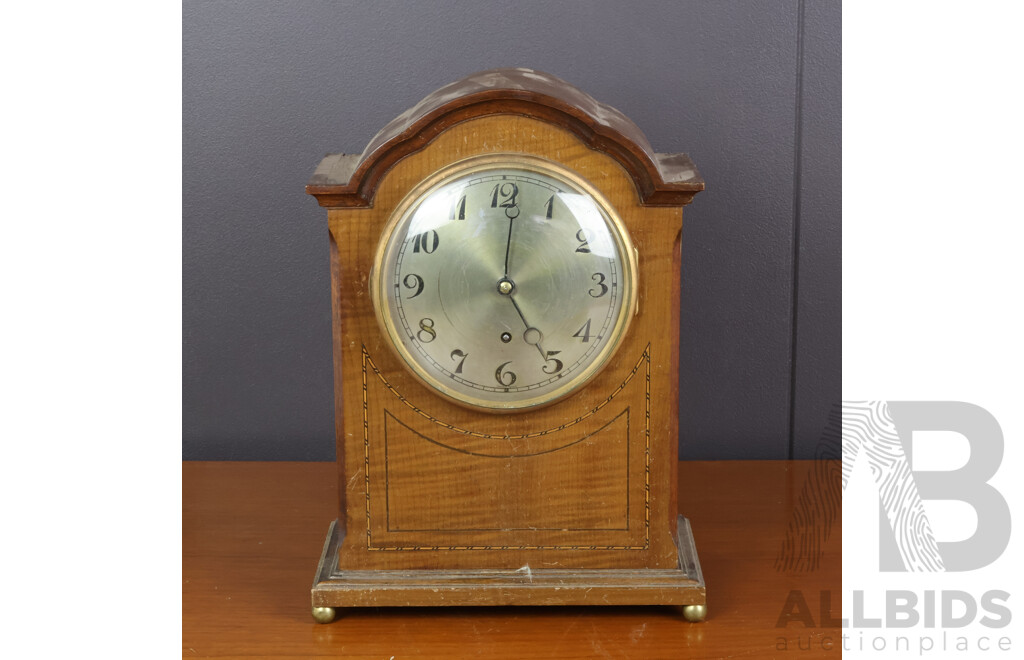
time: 5:00
